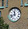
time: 11:42
